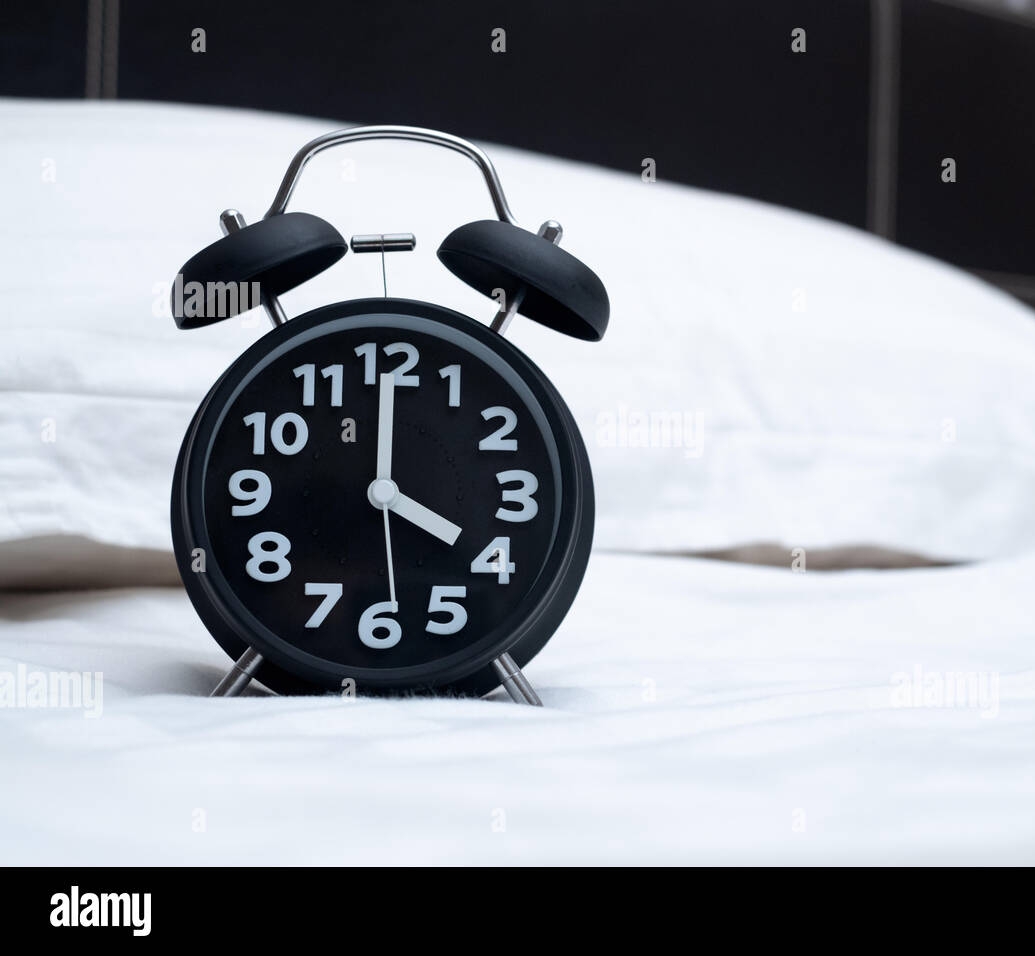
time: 4:00
